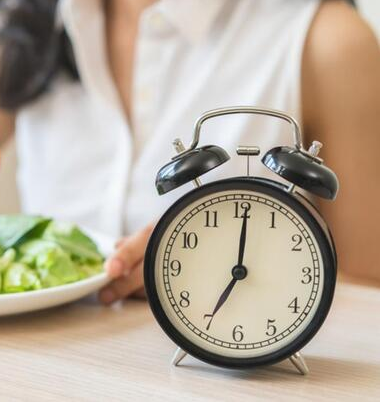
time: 7:00
